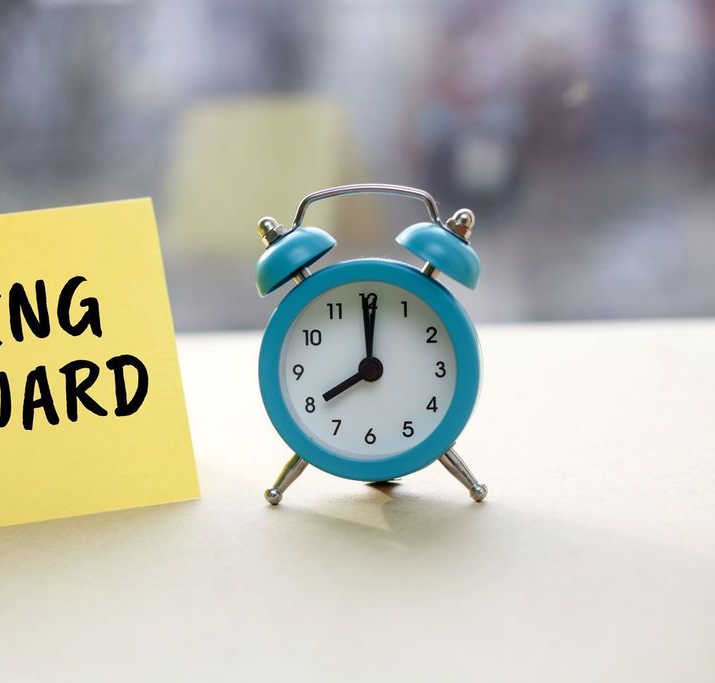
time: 8:00
